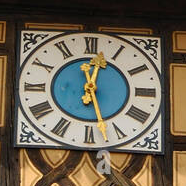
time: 12:27
